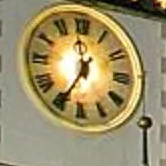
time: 6:58
